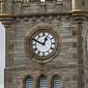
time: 12:49
